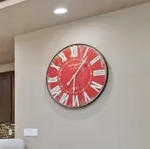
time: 6:06
